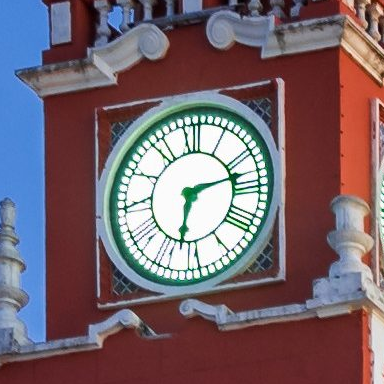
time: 2:32
